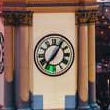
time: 7:05
